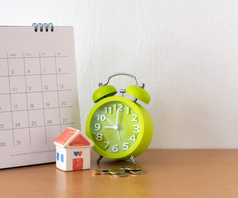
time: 9:00
